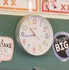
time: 10:43
